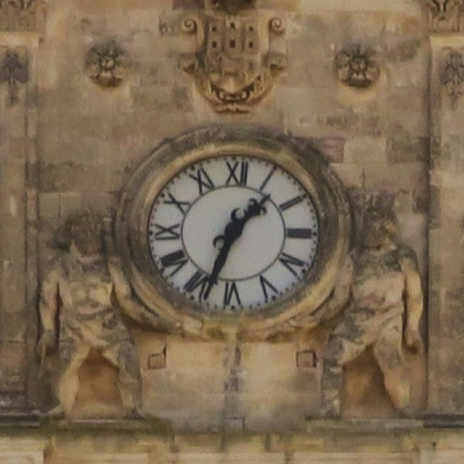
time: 1:33
